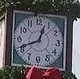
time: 12:41
